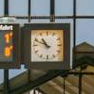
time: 10:49
